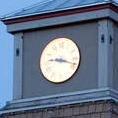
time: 9:18
